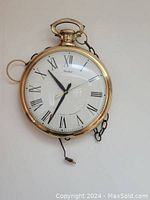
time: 10:34
